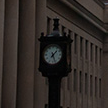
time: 1:26
